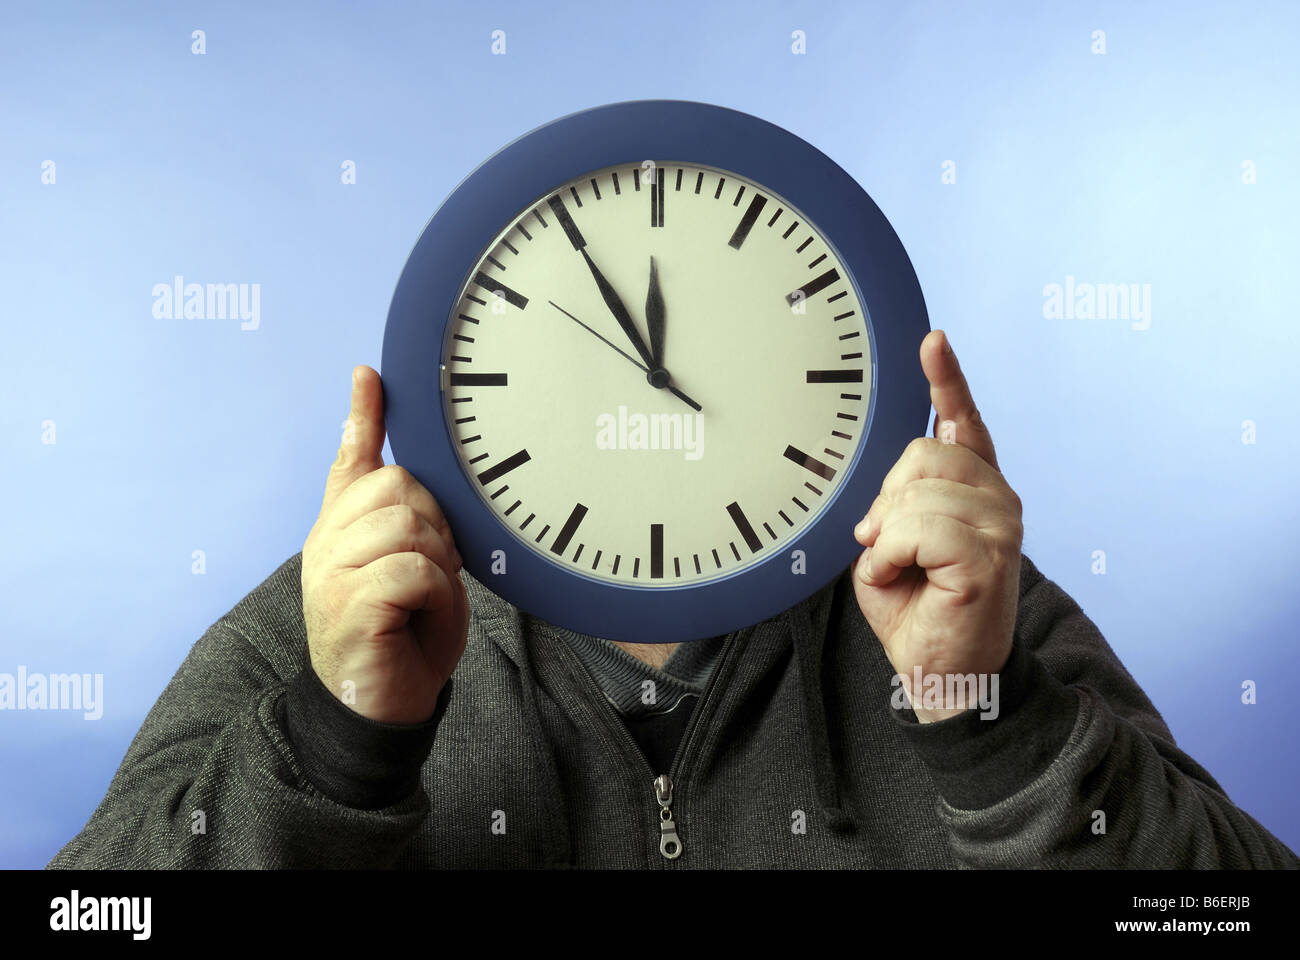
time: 11:54
